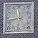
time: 11:43
